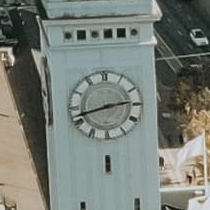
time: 2:42
